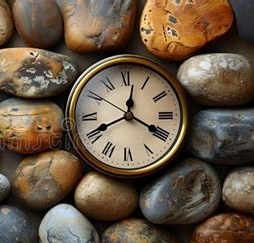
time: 12:19
